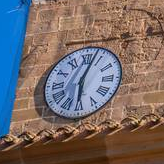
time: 6:03
